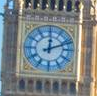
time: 12:11
